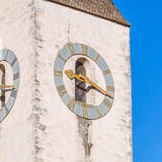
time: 7:17
